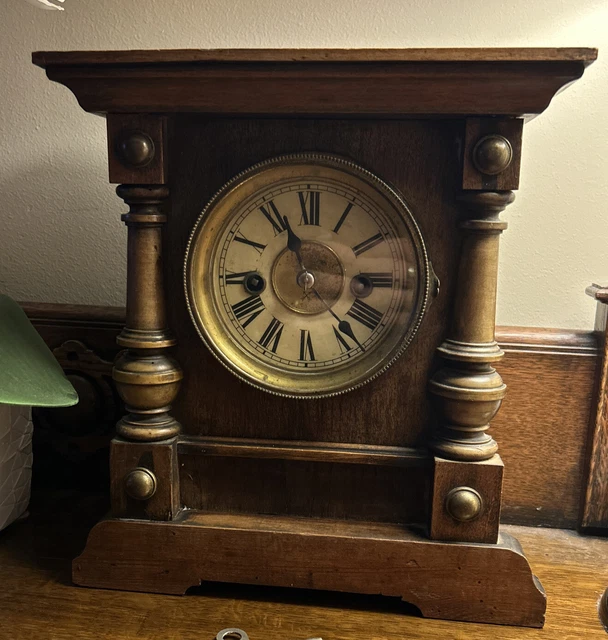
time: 11:14
